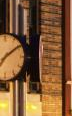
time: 7:09
